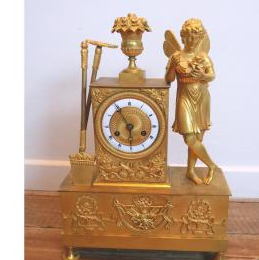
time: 5:54
